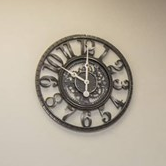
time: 10:00
